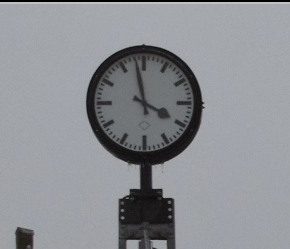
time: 3:58
